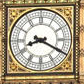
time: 8:19
